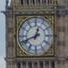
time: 12:41
